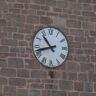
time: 10:42
